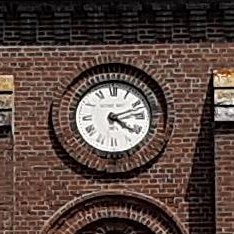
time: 4:11
